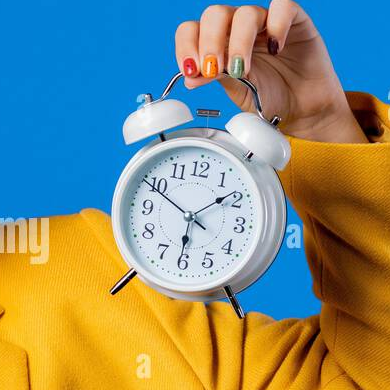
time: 6:08
